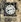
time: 8:12
